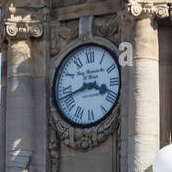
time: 3:42
